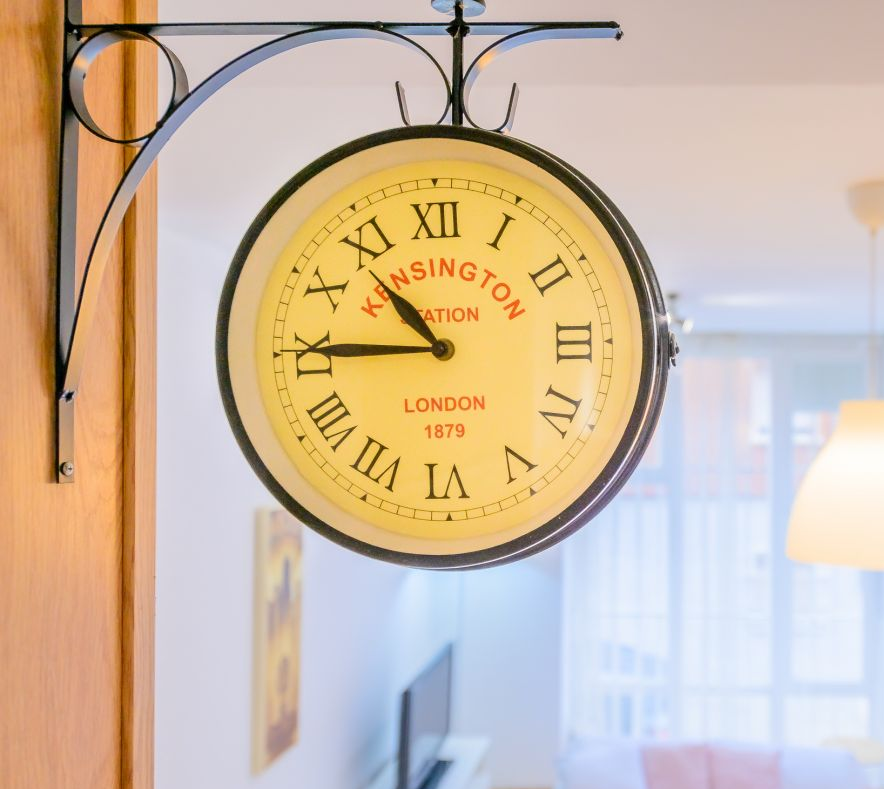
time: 10:45
